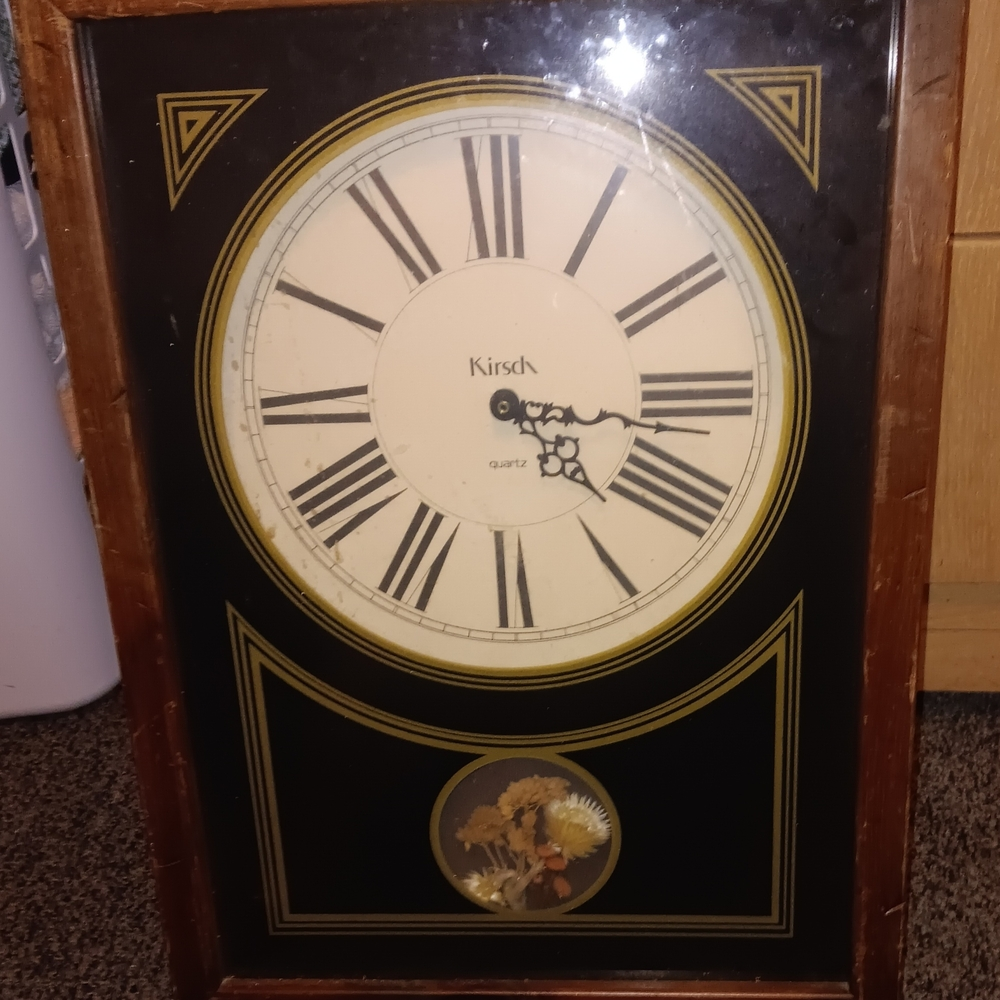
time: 4:16
